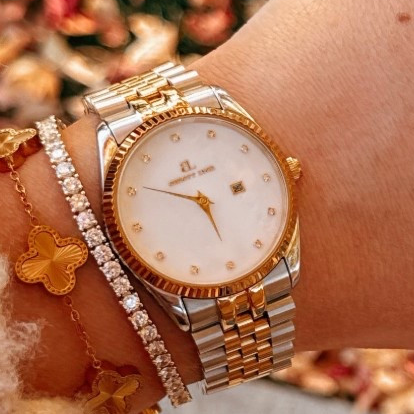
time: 4:45
